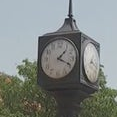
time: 1:18
